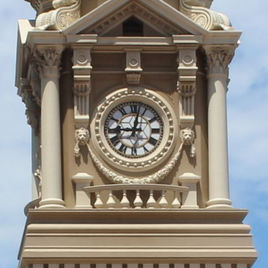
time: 9:01
